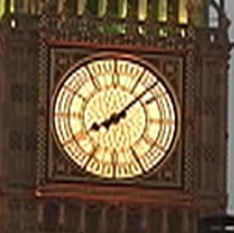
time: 8:07
